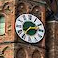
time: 2:36
